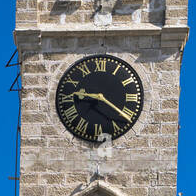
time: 9:20
